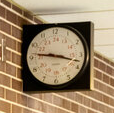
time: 9:17
